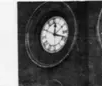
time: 12:18
